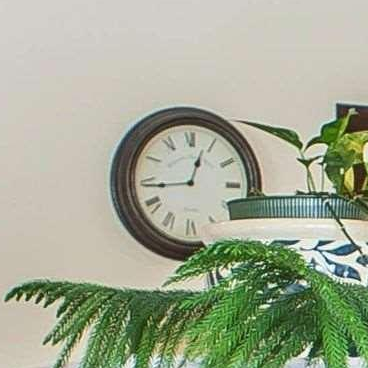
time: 12:43
